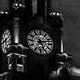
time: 5:12
